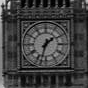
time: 1:32
